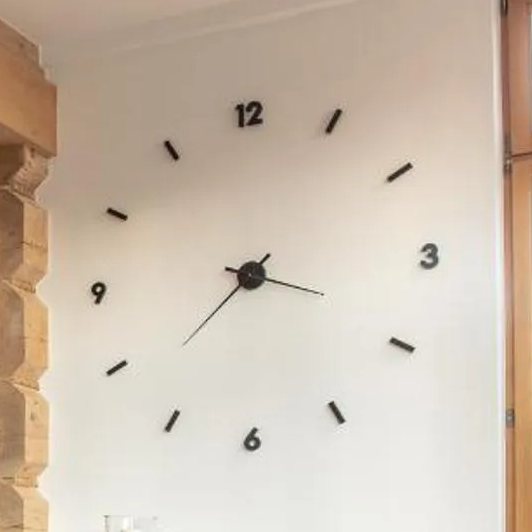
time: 3:38
